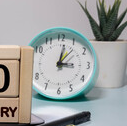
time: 3:01
